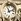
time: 11:12
